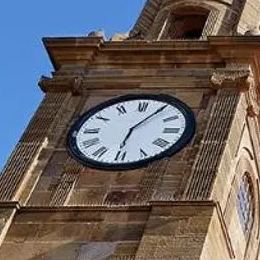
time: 6:05
